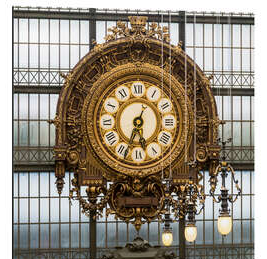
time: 5:34
